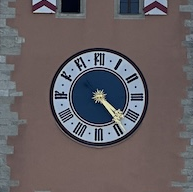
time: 4:23
